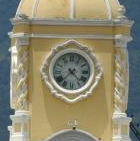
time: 4:37
